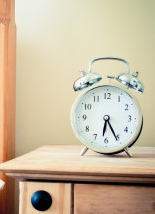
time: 6:25
